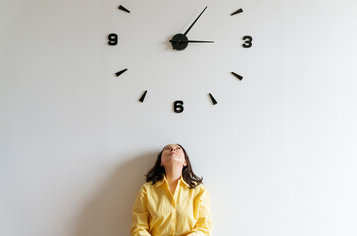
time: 3:05
